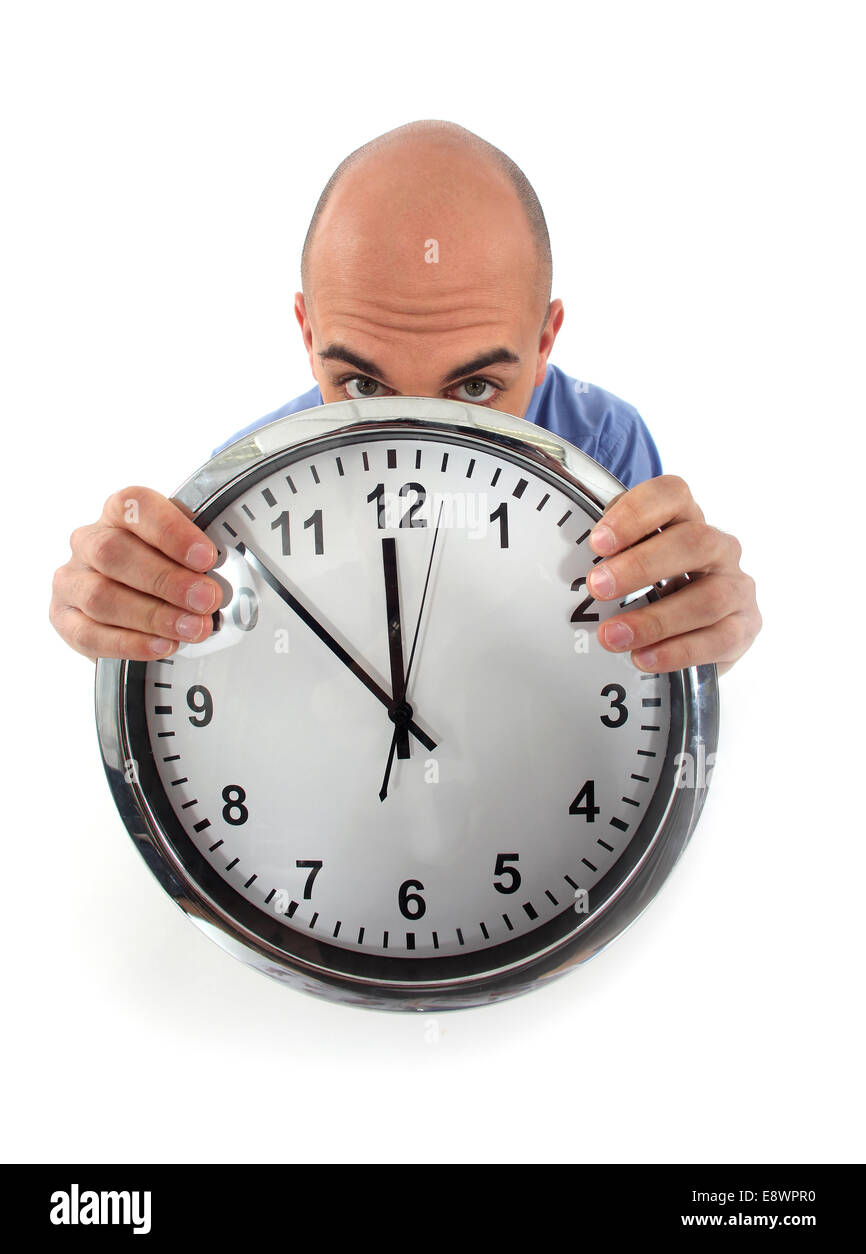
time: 11:52
